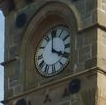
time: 3:59
